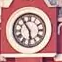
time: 5:54
